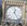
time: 12:24
